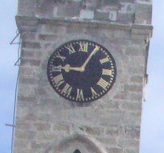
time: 9:04
